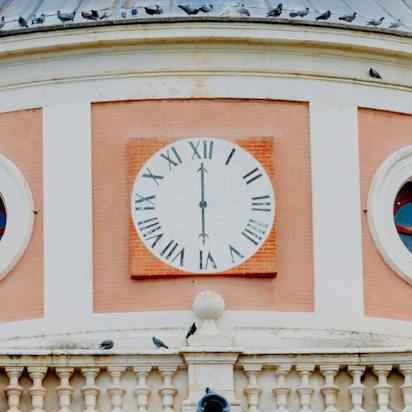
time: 6:00
